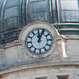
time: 12:04
